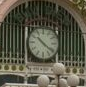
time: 10:21
